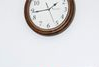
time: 1:43
